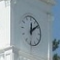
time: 12:08
